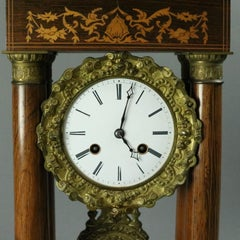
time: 4:02
